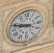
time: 8:47
